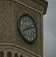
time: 8:12
